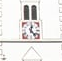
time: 12:23
